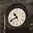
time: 10:41
